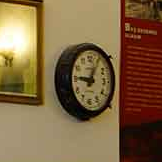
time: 12:46
